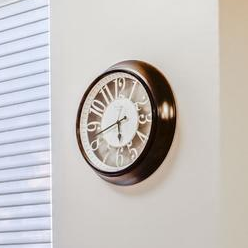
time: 5:42
